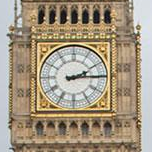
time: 2:14
